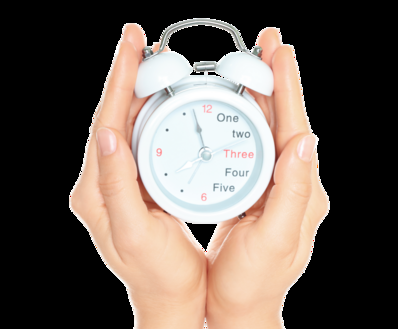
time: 11:35
